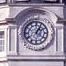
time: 1:20
